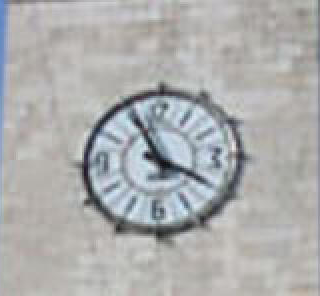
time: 3:55
